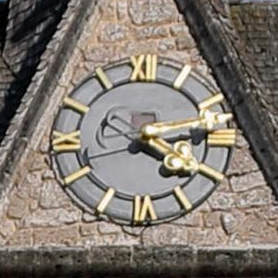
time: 4:13
